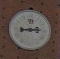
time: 2:43
